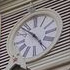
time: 4:52
